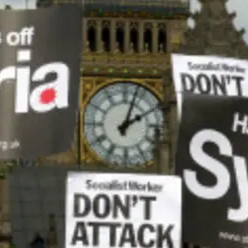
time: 2:03
